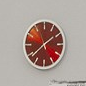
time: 1:38
